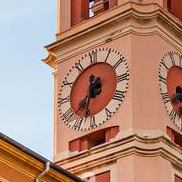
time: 7:33
